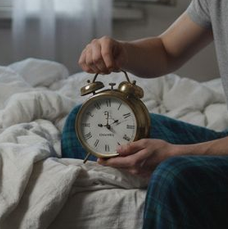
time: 9:10
